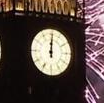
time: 12:00
